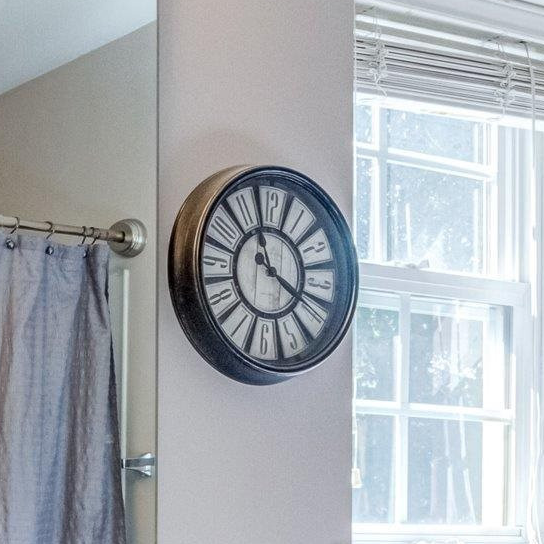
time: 3:58
